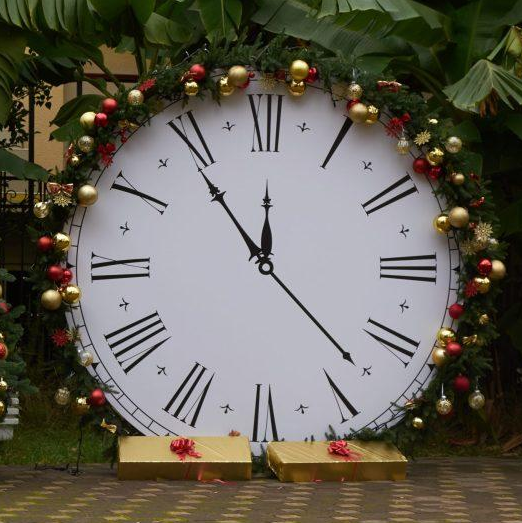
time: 11:53
